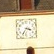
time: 3:35
